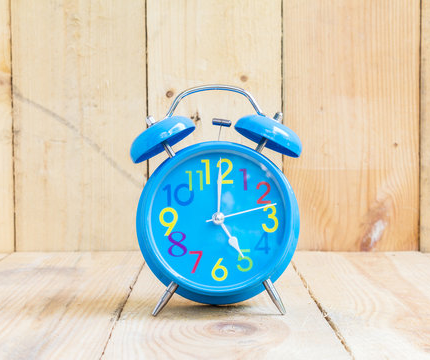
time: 5:00
